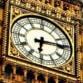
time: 6:14
